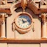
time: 11:12
